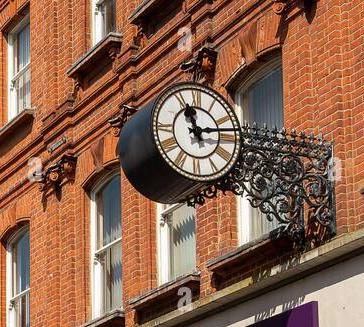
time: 11:13
